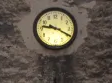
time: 9:19
